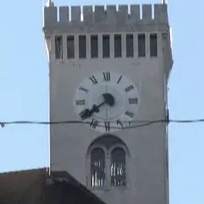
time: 7:39
